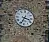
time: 3:34
